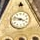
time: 3:47
